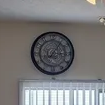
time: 3:06
